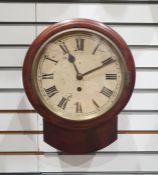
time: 11:10
